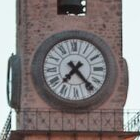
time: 7:23
